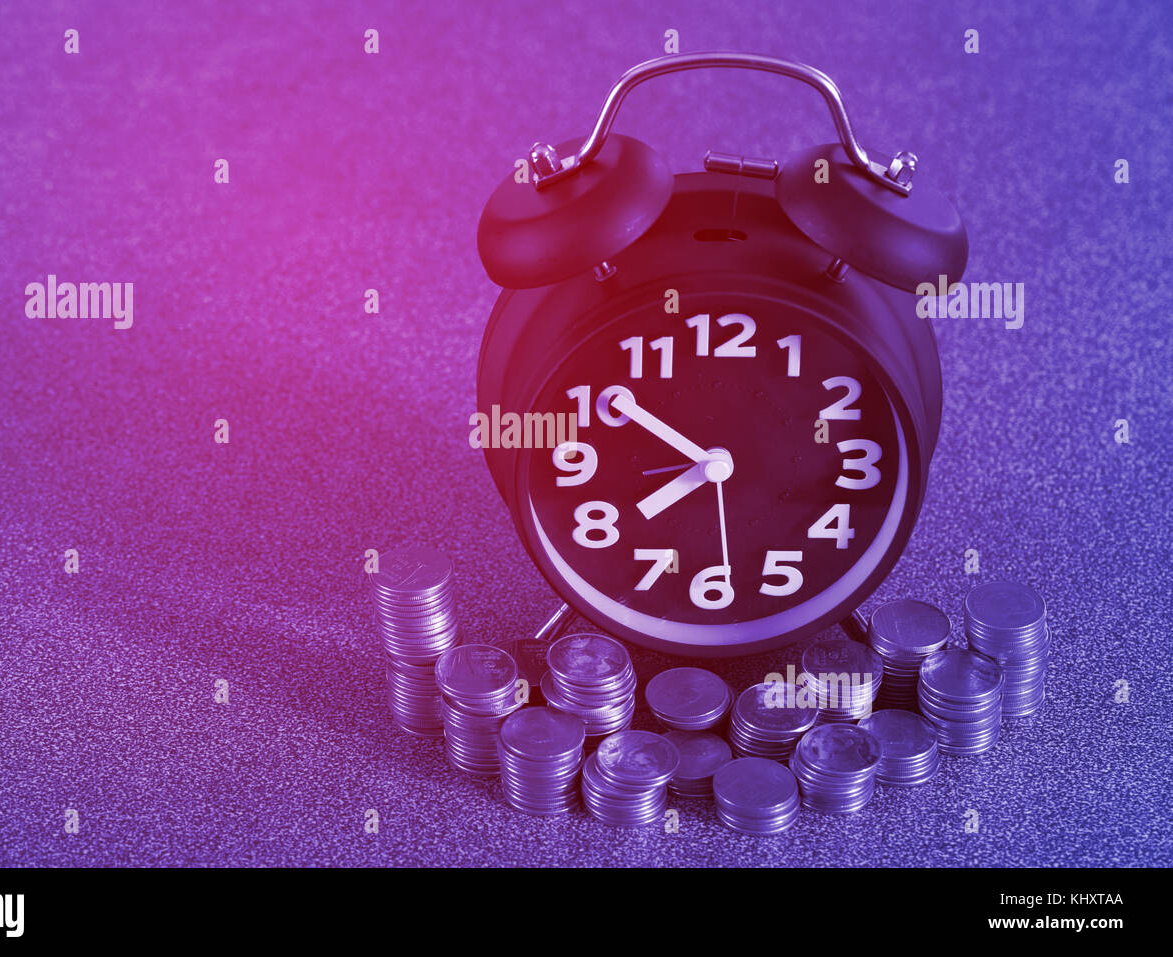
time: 7:50
